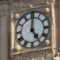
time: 5:00
